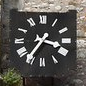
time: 3:35
